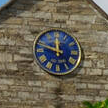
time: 11:48
